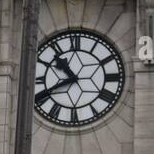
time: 10:40
